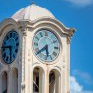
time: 5:38
